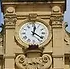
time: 12:21
